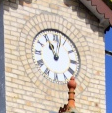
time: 11:02
